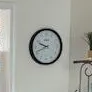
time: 9:41
